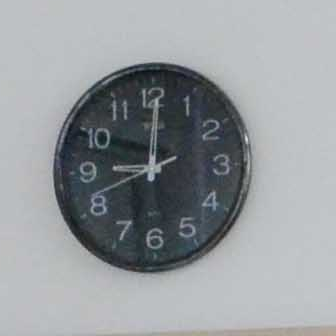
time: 9:00
